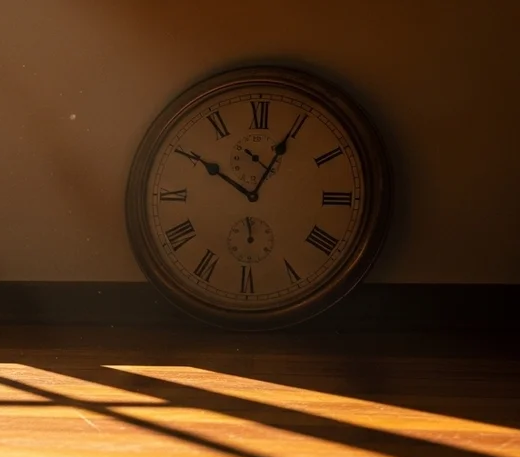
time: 10:04
